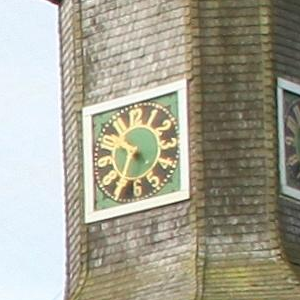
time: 10:34
